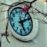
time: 5:09
